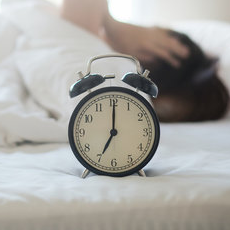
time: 7:00
